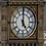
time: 5:00
